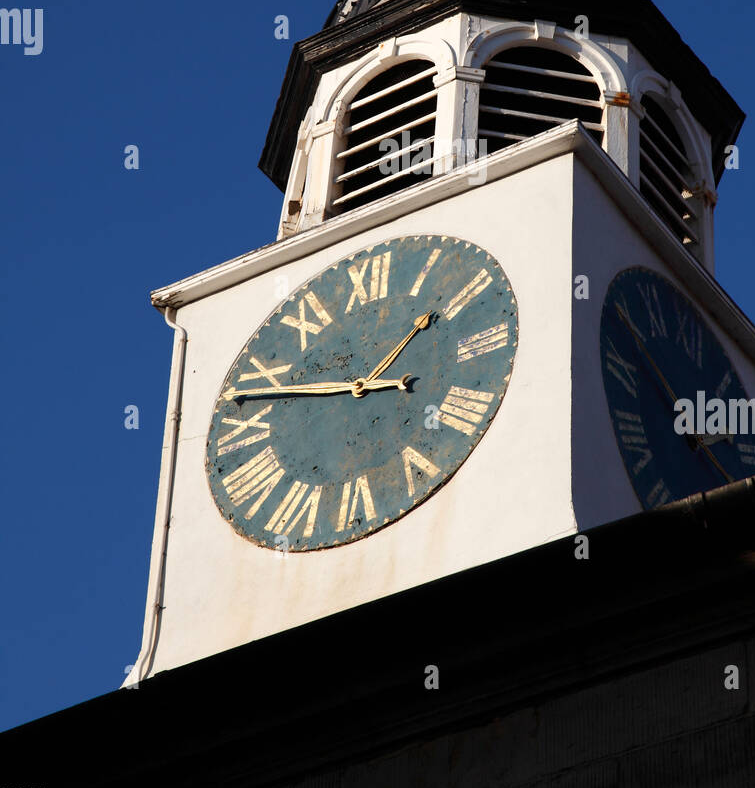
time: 1:47
